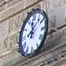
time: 12:07
